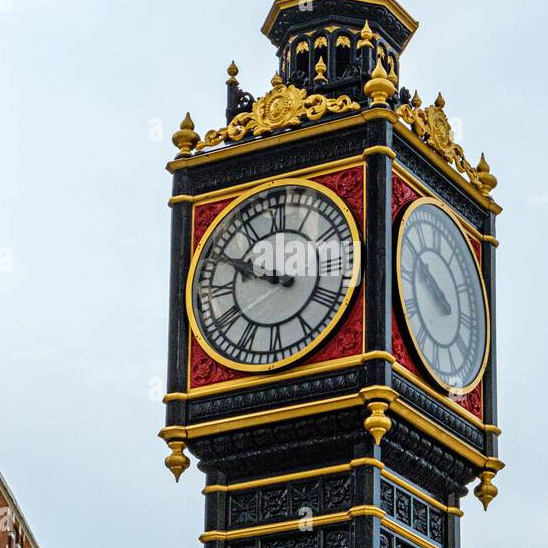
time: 9:49
